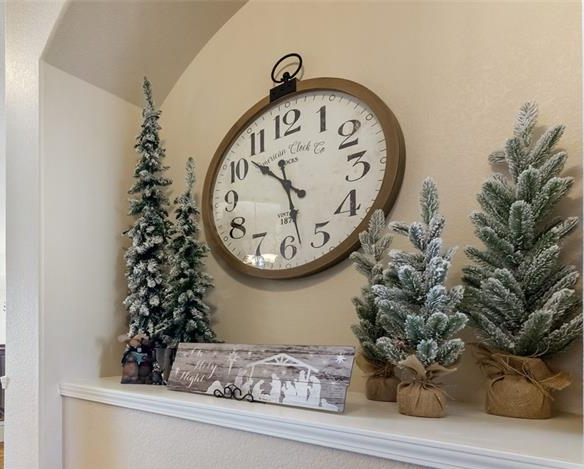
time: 10:28
